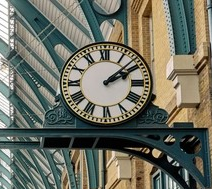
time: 2:08
